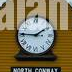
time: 1:45
